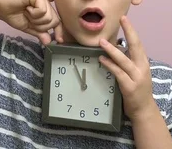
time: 11:55
